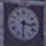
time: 3:31
